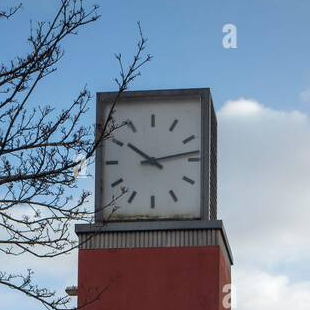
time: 10:13
